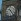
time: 10:24
